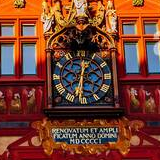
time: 12:32
